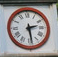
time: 2:28
